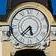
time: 5:37
